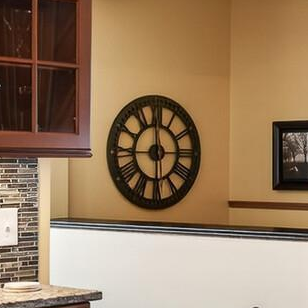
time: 5:59
